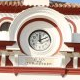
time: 12:11
